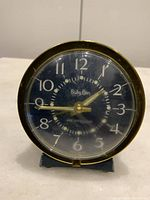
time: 1:44
